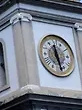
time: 11:28
